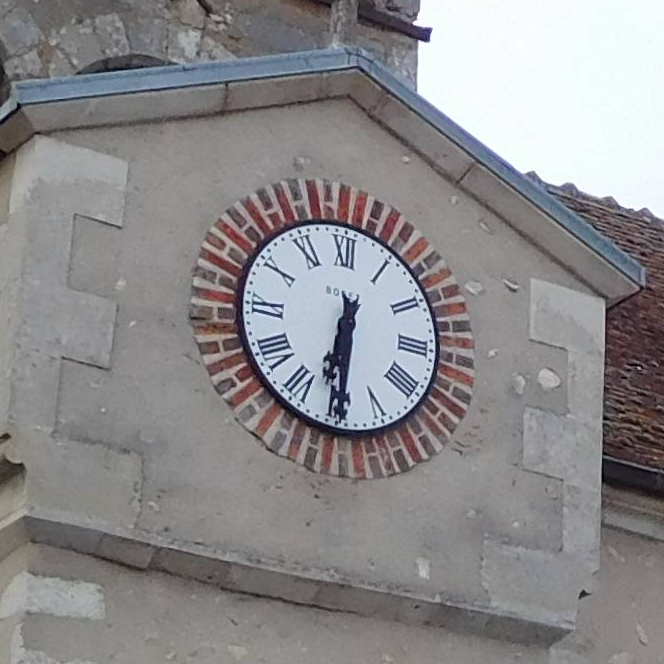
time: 6:30
